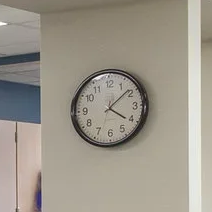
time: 4:08
